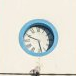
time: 5:48
